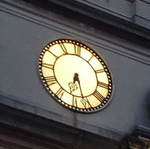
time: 6:26
